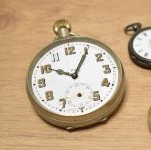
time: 10:05
